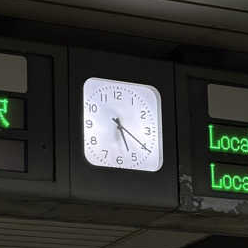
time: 5:20
